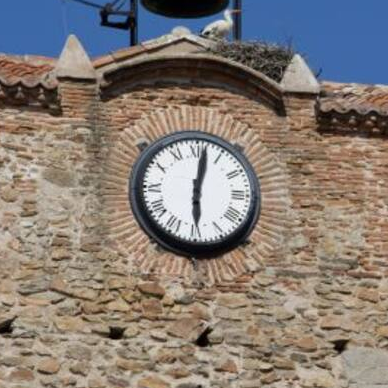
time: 6:01
